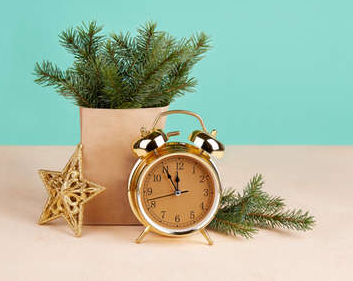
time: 11:54
